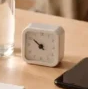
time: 9:51
